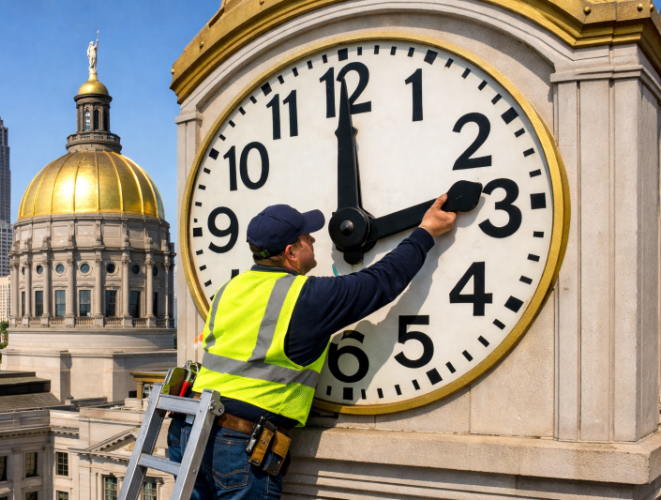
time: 12:00
